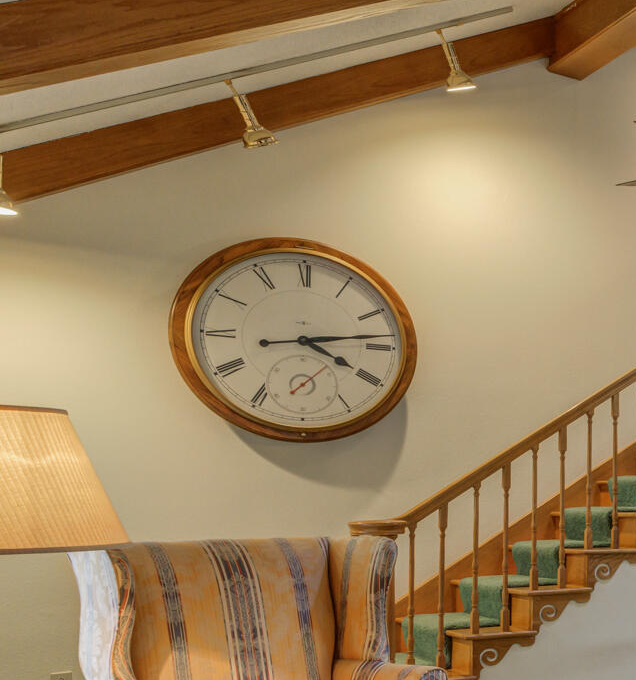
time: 4:13
